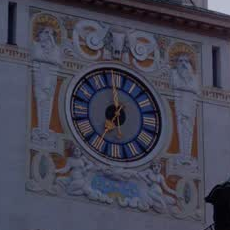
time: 6:59
